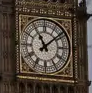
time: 11:08
